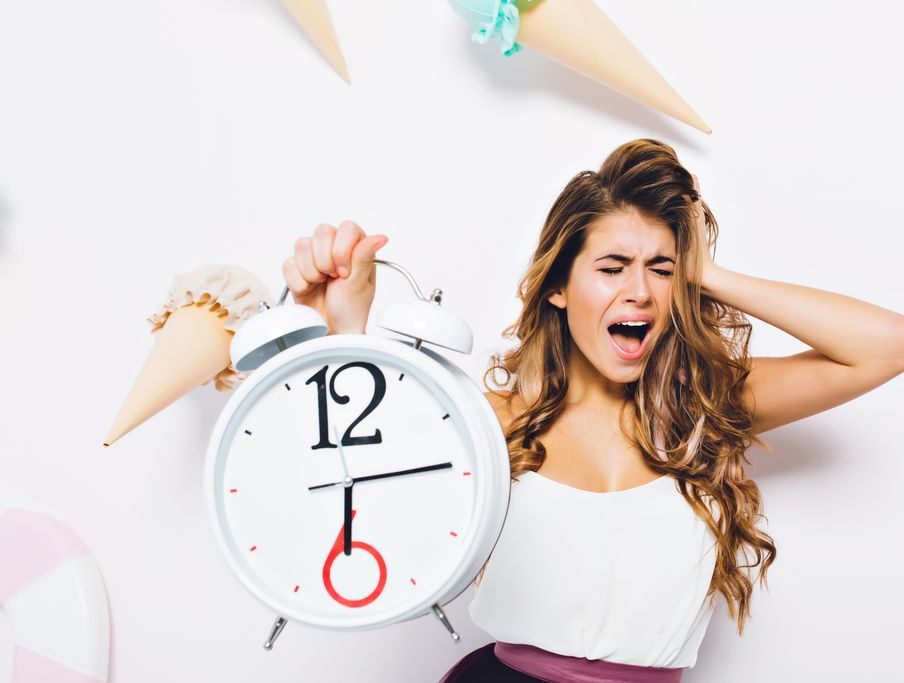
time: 6:14
